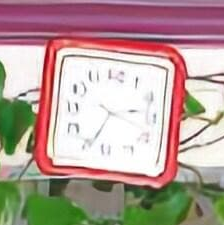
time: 2:34
